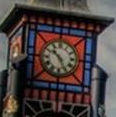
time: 10:25
